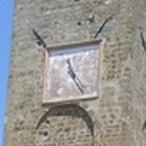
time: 11:25
